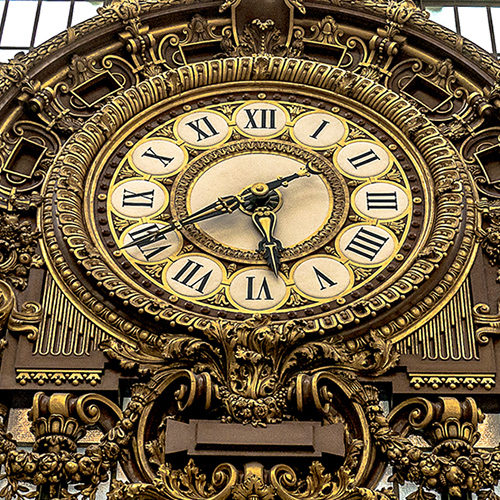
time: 5:40
